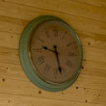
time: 9:27
